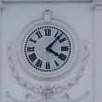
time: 4:07
